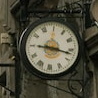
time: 9:17
